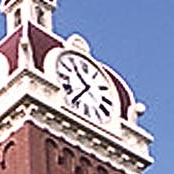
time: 10:36
